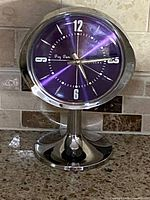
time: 5:14
